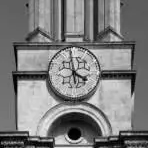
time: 3:58
